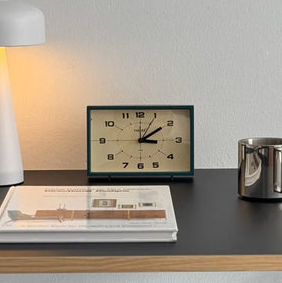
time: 3:09
